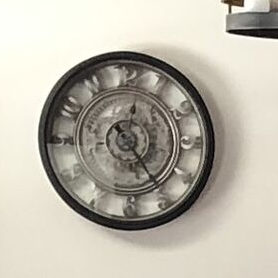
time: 12:24
